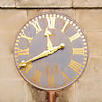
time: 11:40
